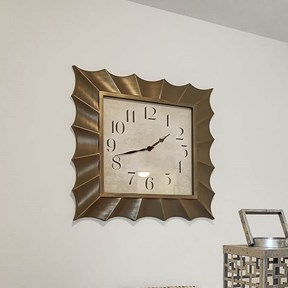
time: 1:42
